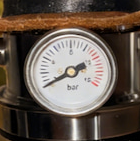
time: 2:40
